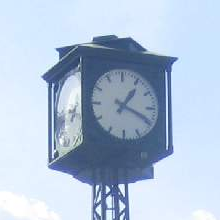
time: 1:18
